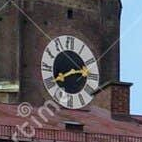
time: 2:40
